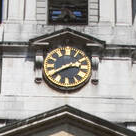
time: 2:40
